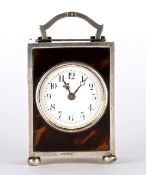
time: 11:06
